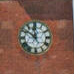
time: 11:51
